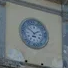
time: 1:50
